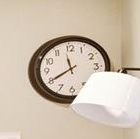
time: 11:40
